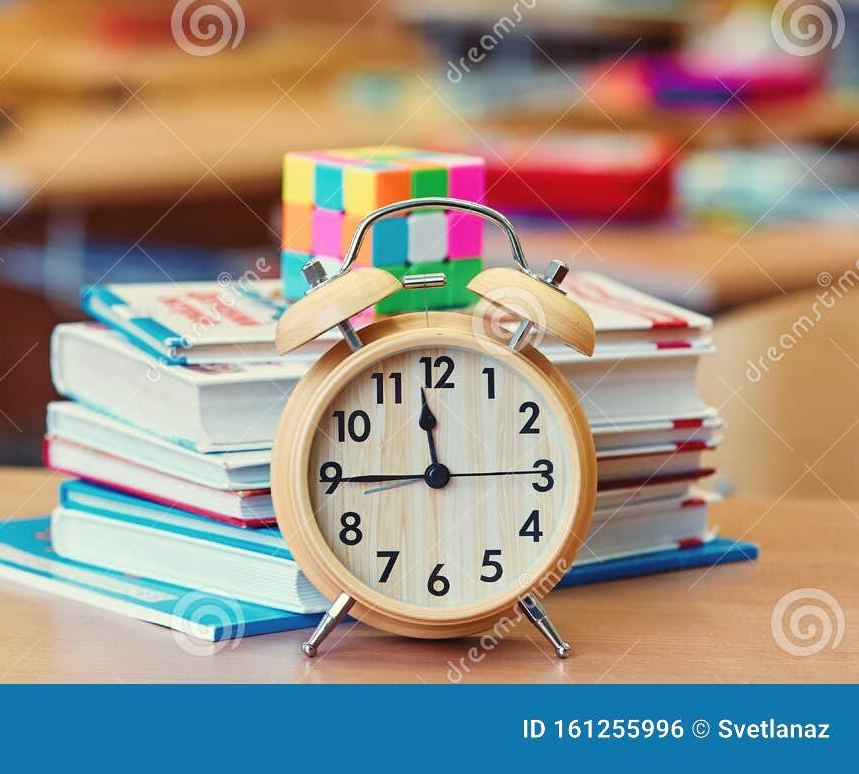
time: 11:44
